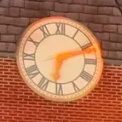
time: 6:11
